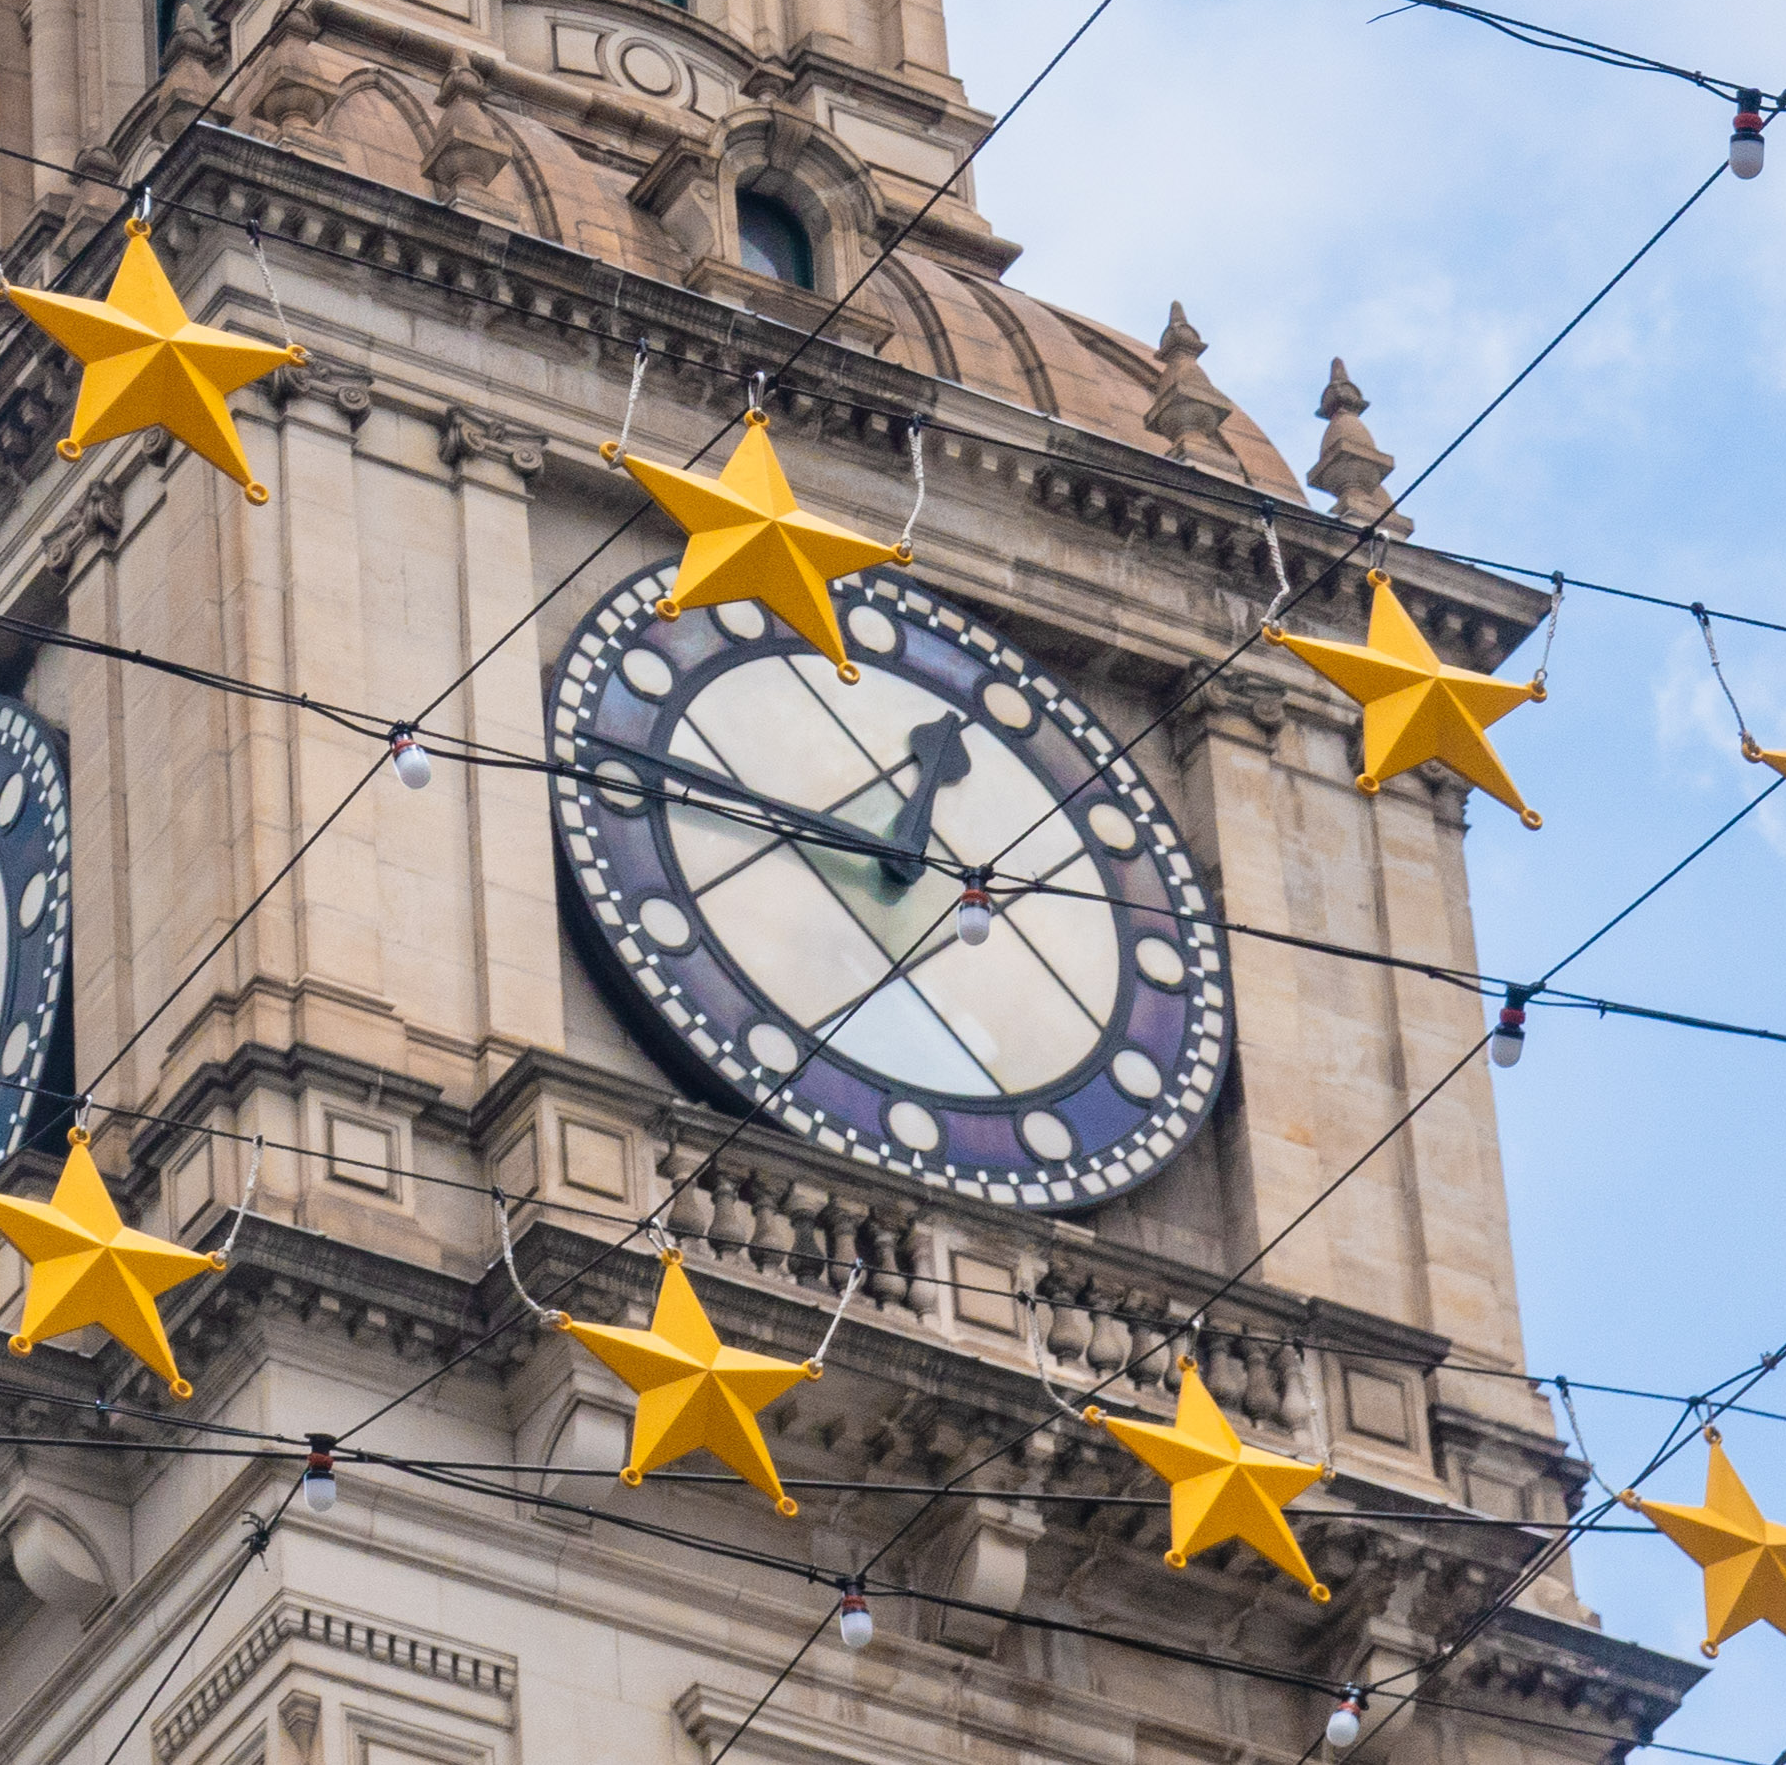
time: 12:46
